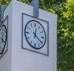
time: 12:20
